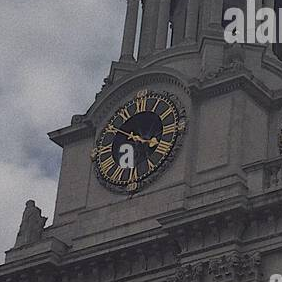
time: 3:50
